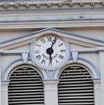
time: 6:03
